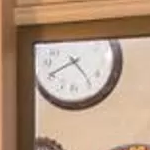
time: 4:40
